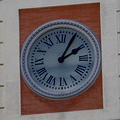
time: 2:05
